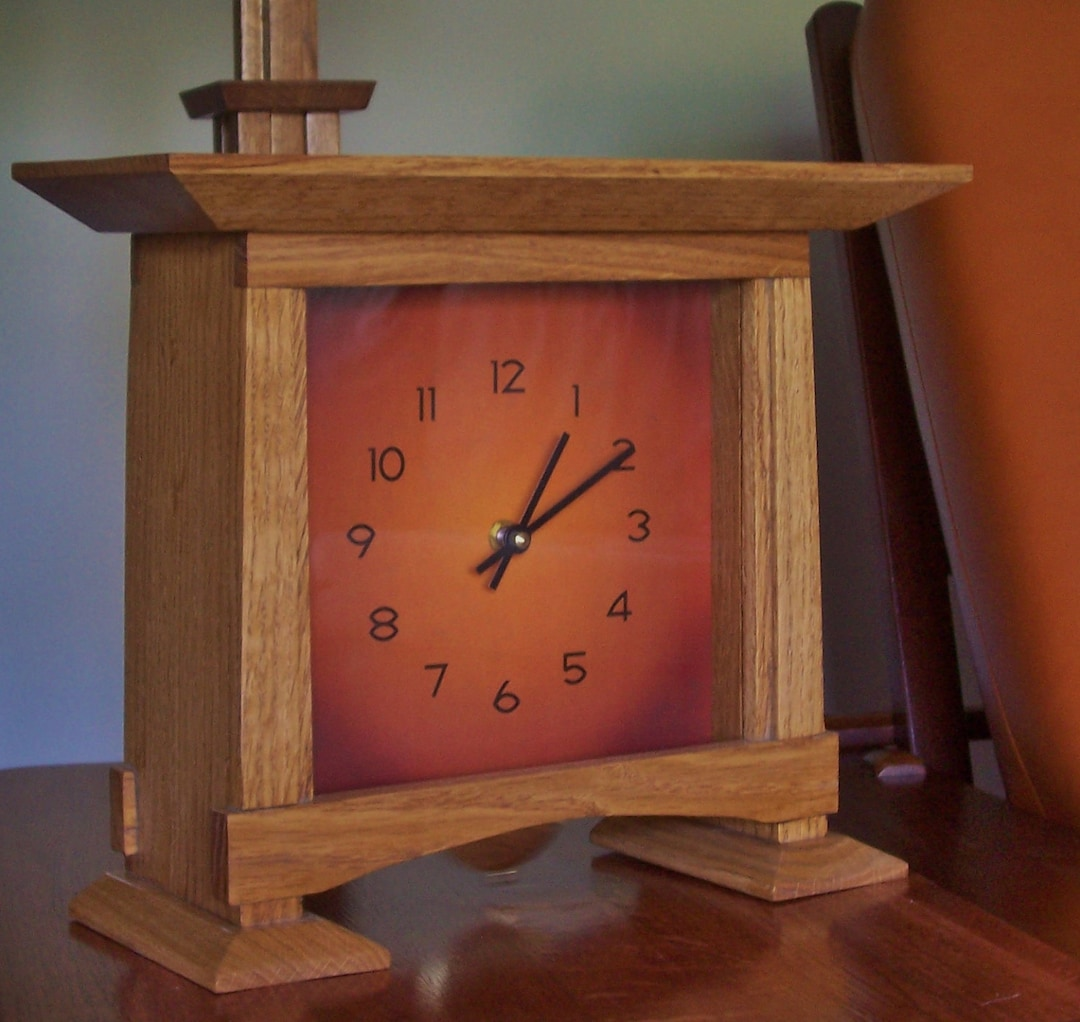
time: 1:09
